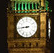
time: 8:44
